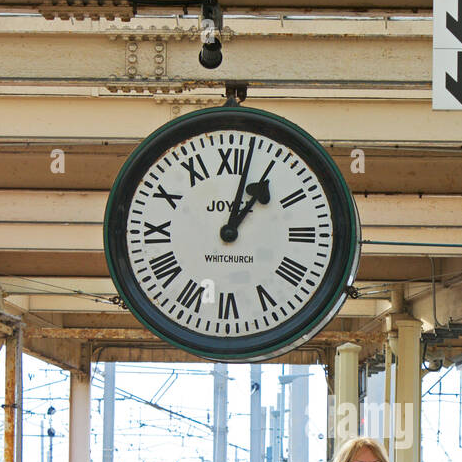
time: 1:02
